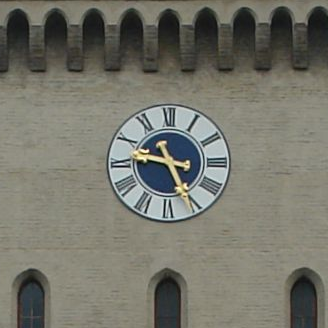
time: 9:25
